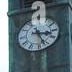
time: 3:26
